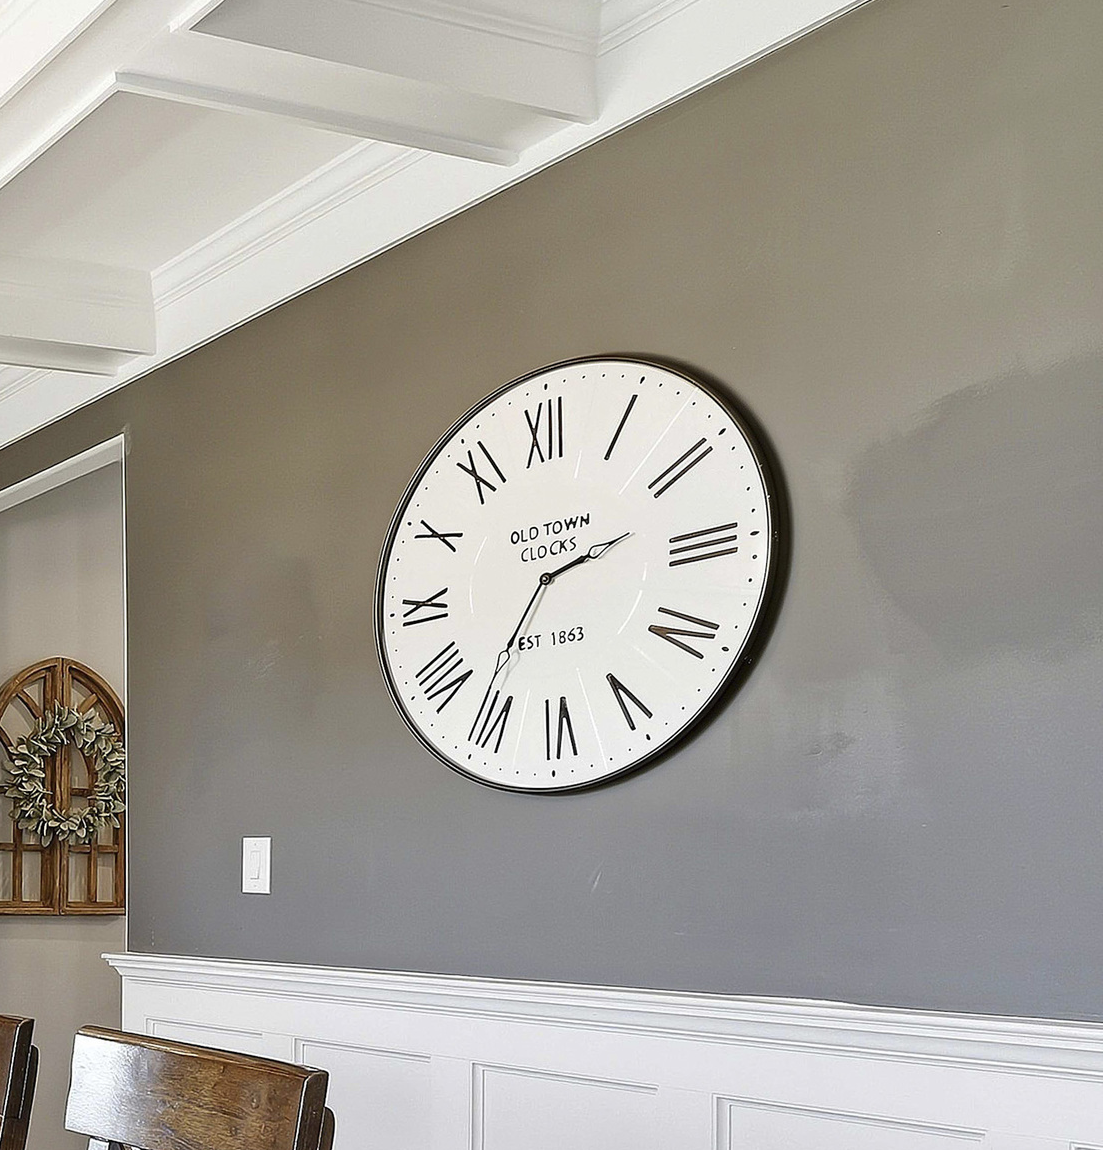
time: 2:36
